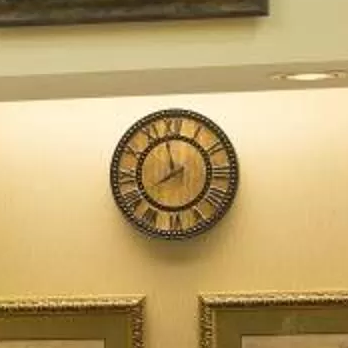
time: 7:58
